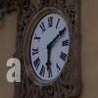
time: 6:10
